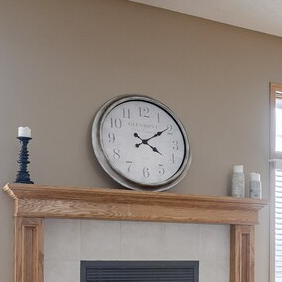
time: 4:09
